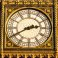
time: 2:40
